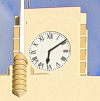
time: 6:09
